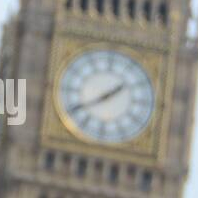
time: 1:39
